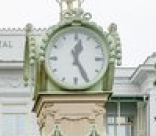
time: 12:25
